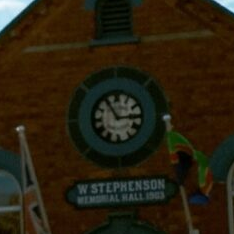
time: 2:54
